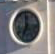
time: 7:00
